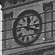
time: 12:17
